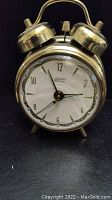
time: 2:56
